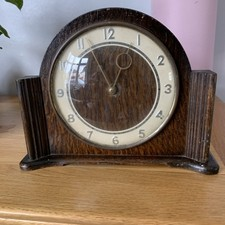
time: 12:55
